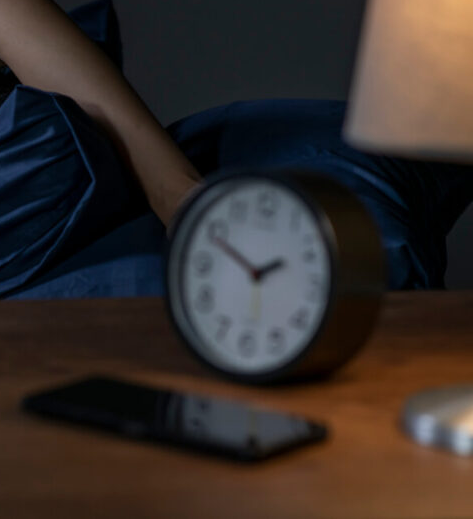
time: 1:49
